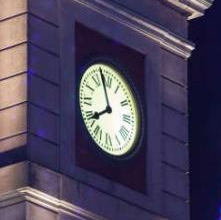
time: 7:57
